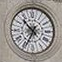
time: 10:34
